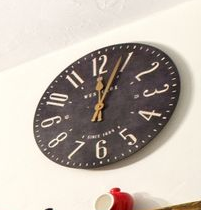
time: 12:04
